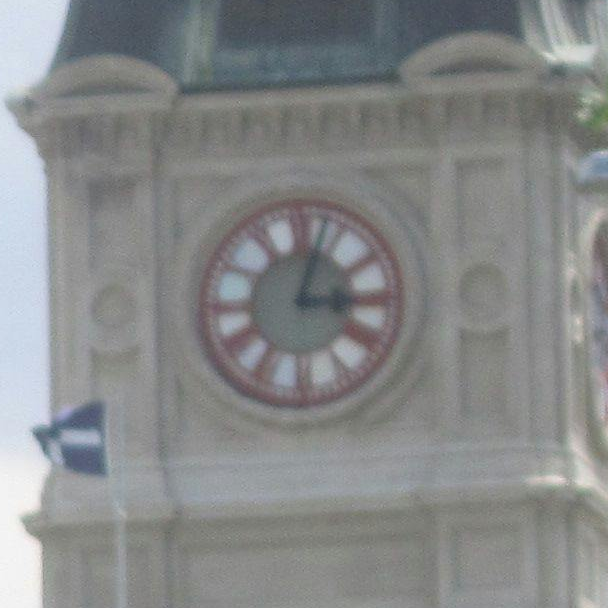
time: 3:02
